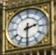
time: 2:30
